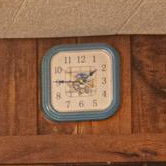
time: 1:45
